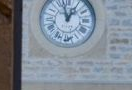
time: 12:57
